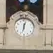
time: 12:02
